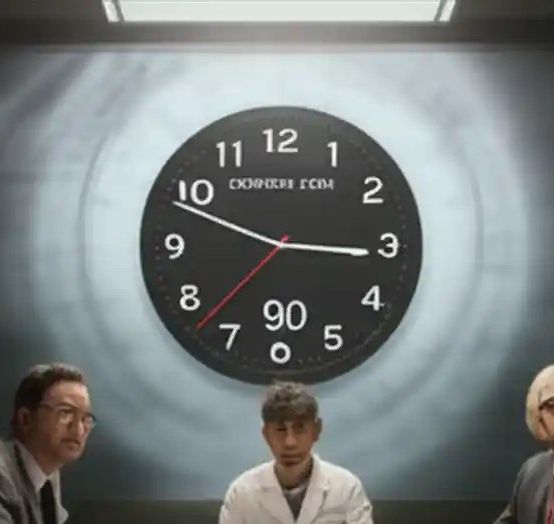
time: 3:15
